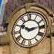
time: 10:14
